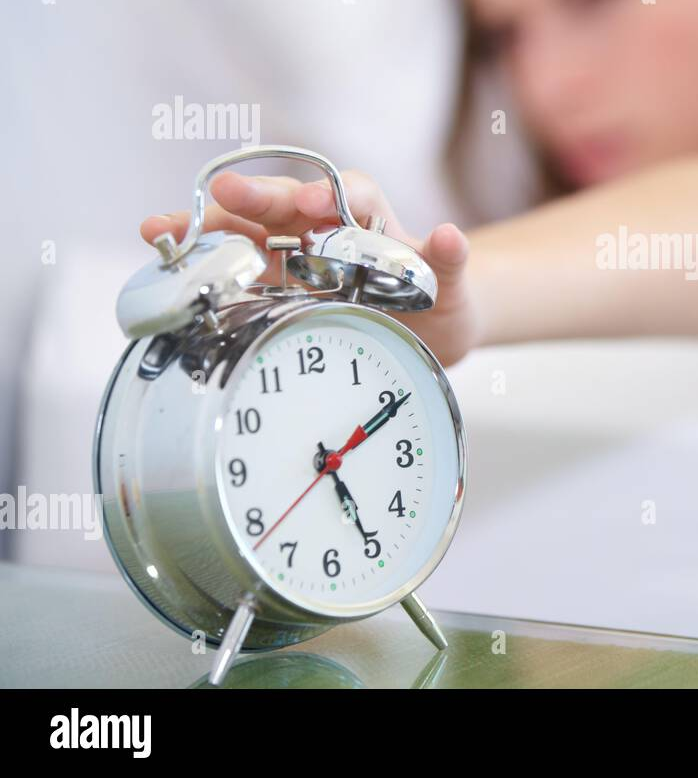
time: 5:10
